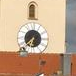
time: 6:37
